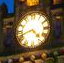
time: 4:42
